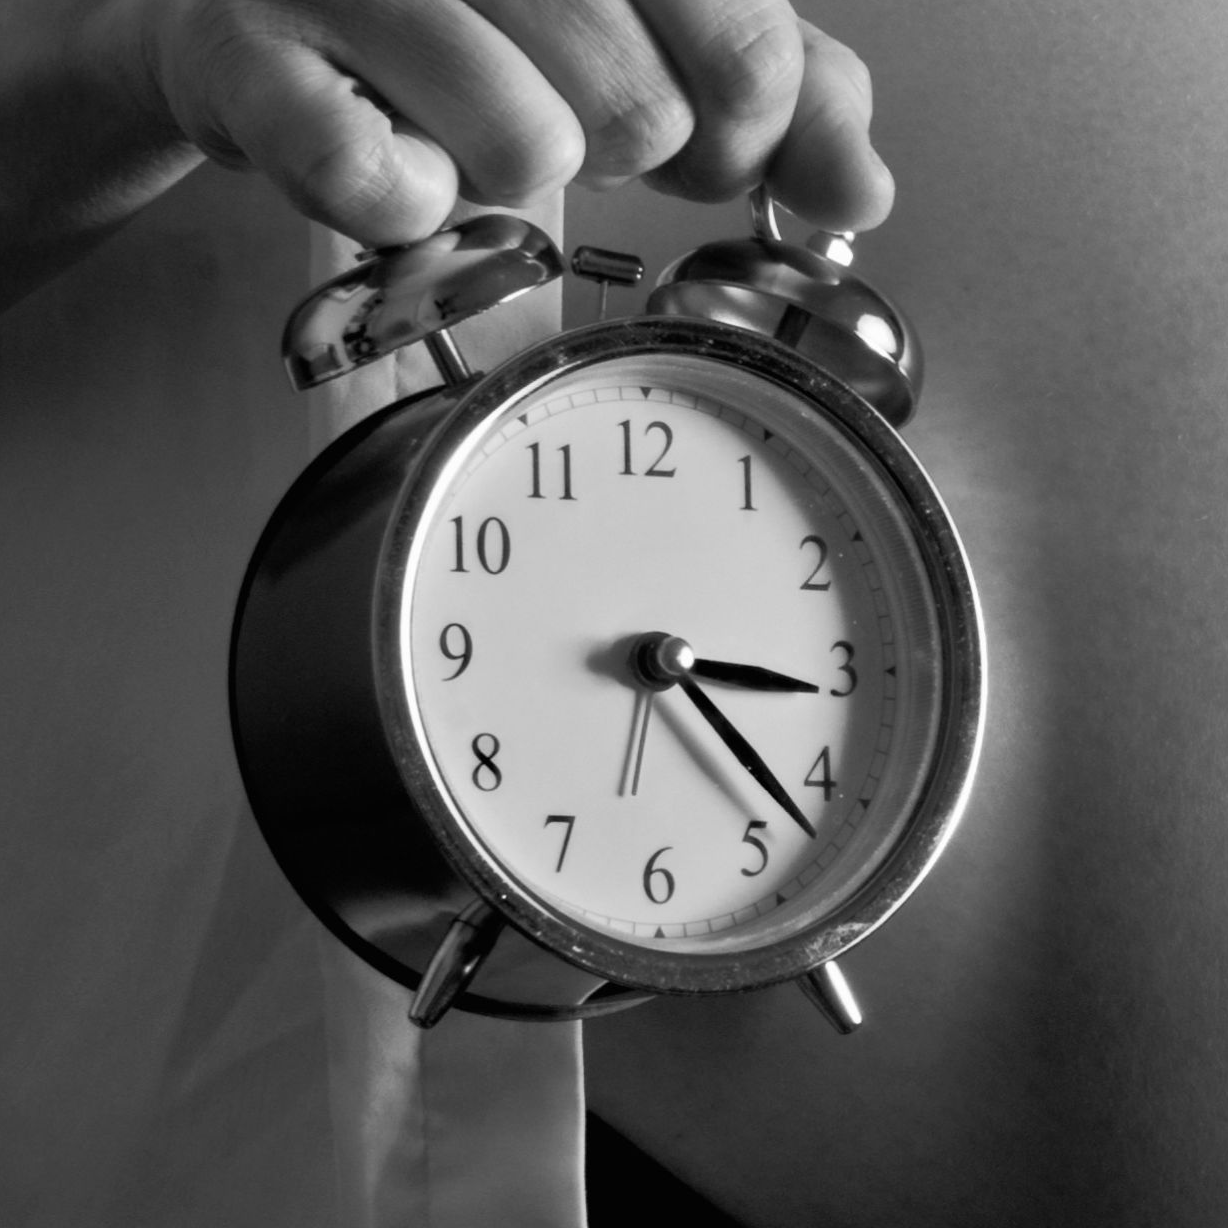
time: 3:22
